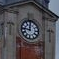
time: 11:46
